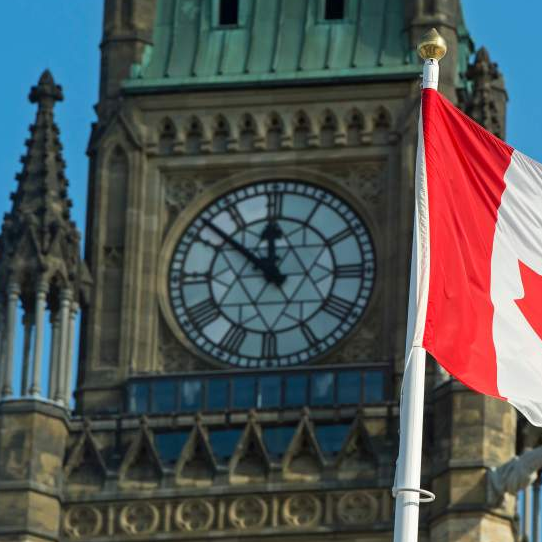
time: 11:51
